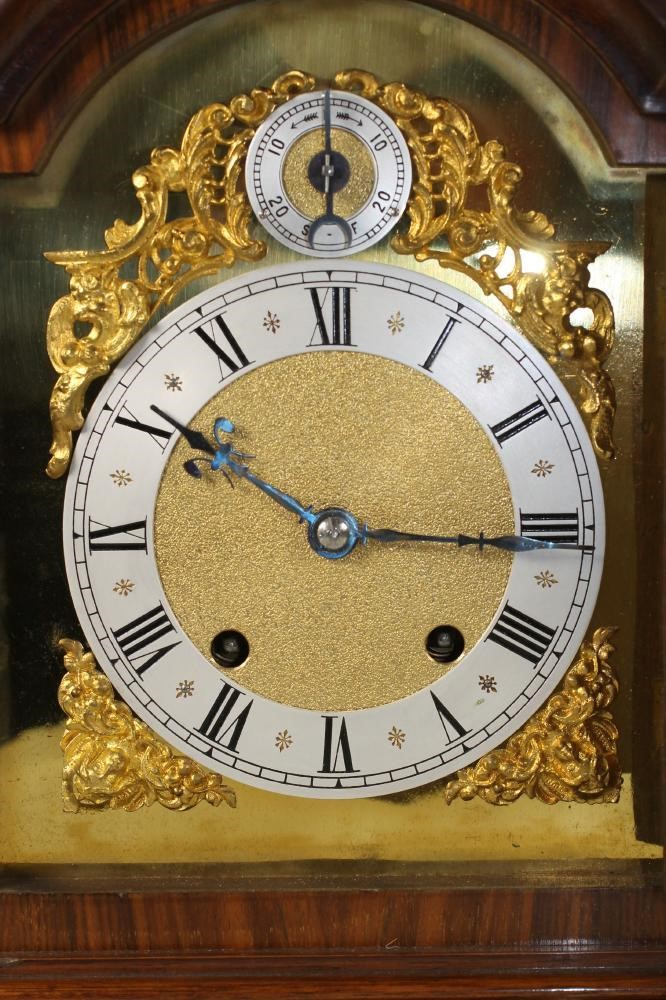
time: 10:15
